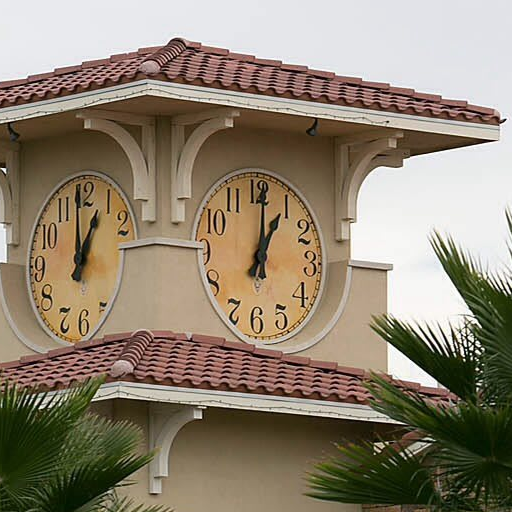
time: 1:00
